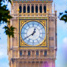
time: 12:39
